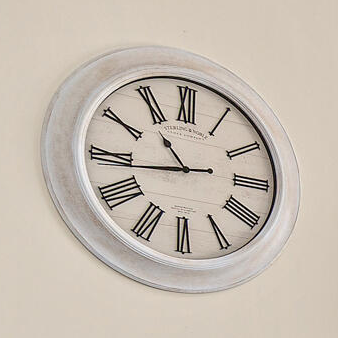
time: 10:43
